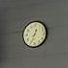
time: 12:33
